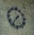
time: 1:36
